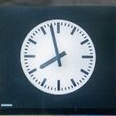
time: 7:57
